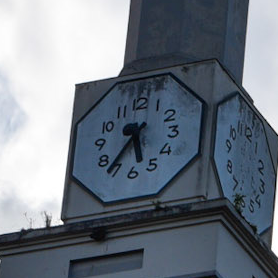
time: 5:35
